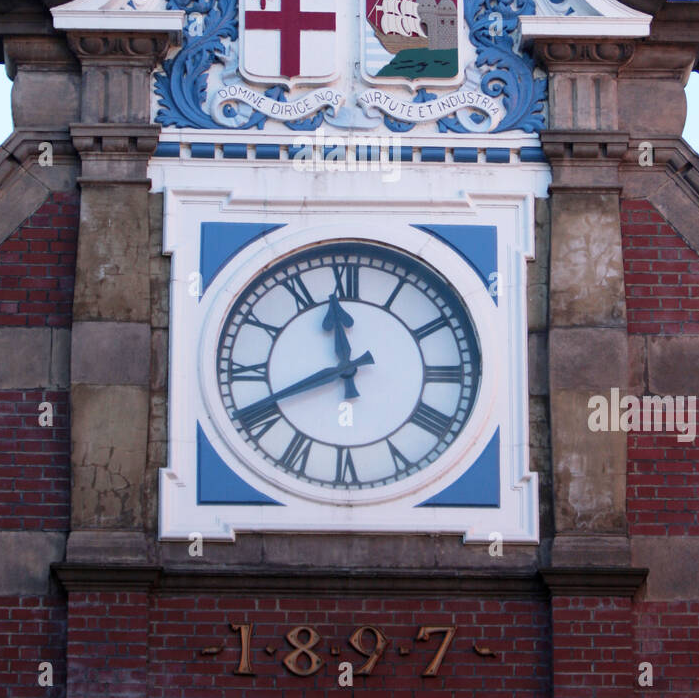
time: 11:40
